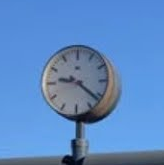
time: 9:21
